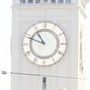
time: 10:48
